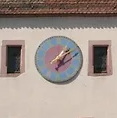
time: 1:10
